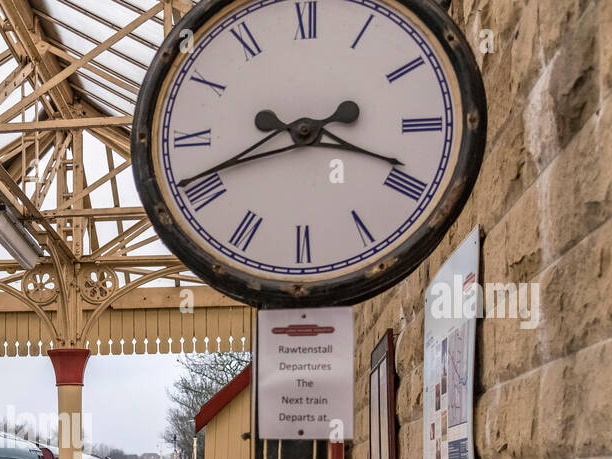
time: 3:41
